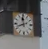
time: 11:41
